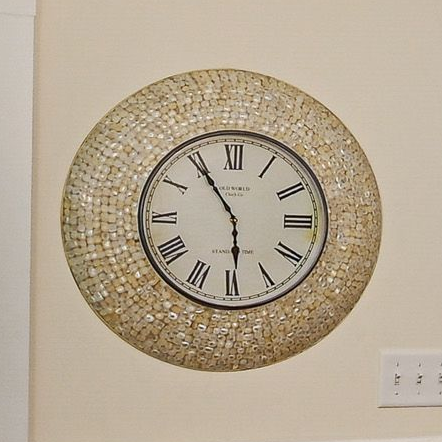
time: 5:54
